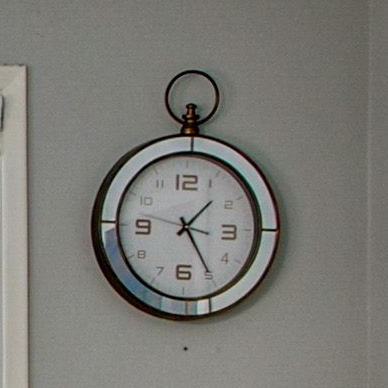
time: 1:24
